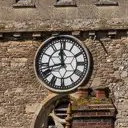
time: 11:42
